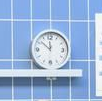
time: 11:51
